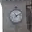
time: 11:10
